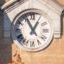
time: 12:55
